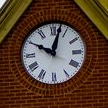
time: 10:02
